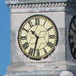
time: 10:32
